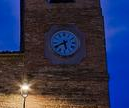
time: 5:40
